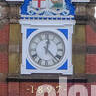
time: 12:22
